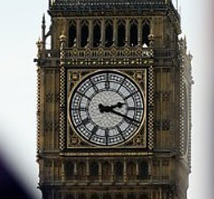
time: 2:18
